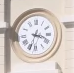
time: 3:33
